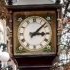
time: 3:07
